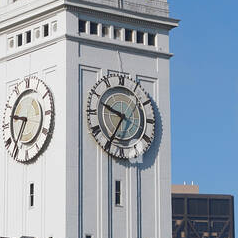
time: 9:35
